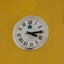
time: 4:14
